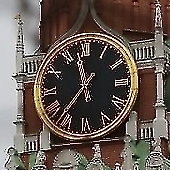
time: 11:36
